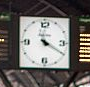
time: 4:20
